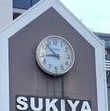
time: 8:53
